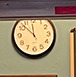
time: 11:52
